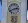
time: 2:40
